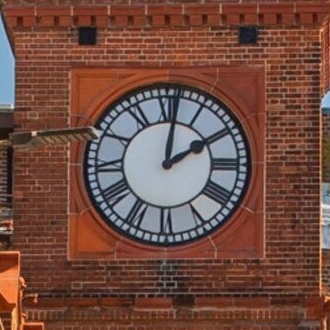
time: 2:01
